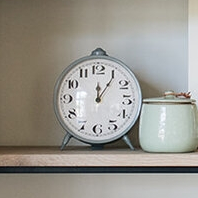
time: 12:05
